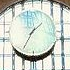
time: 1:34
